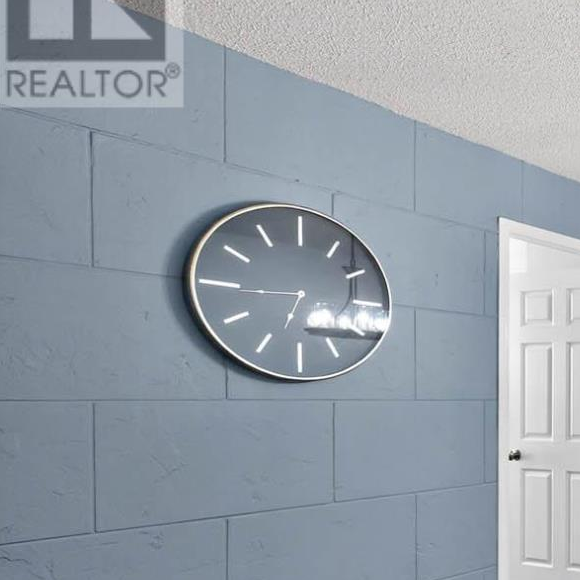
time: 6:44
